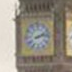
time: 2:12
